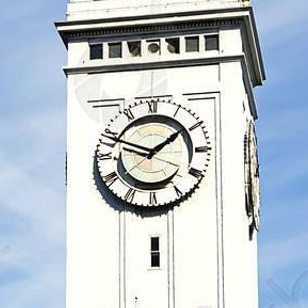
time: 1:48
